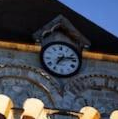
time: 7:12
